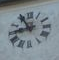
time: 8:54
